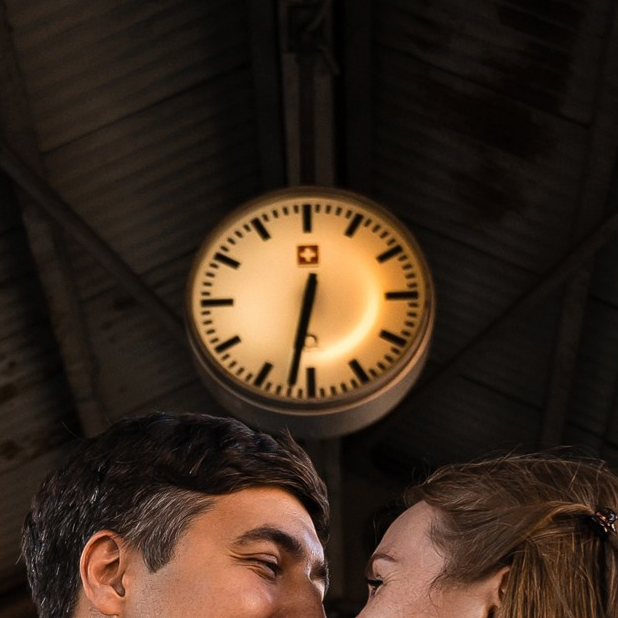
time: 6:32
